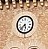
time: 5:37
